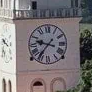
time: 9:36
